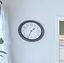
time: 1:33
